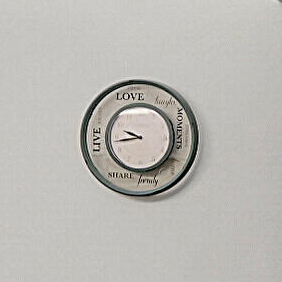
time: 9:42
